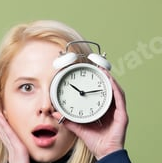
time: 10:13
